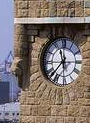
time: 11:37
